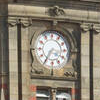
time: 3:35
